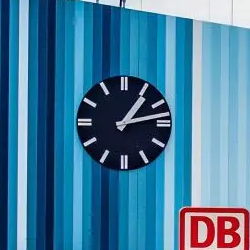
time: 1:13
